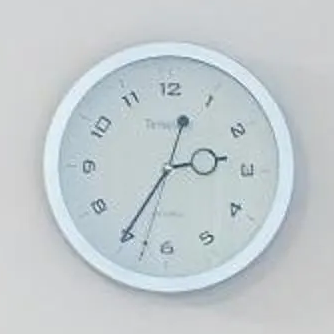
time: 2:35
